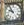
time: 9:54
